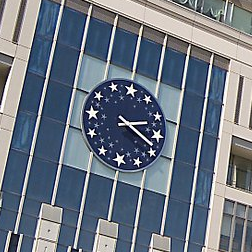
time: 2:18
